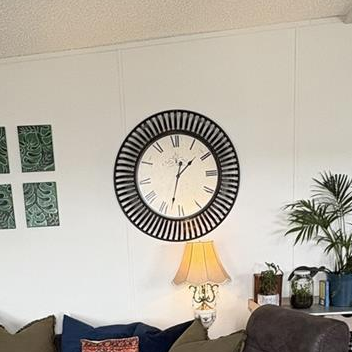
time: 1:32
